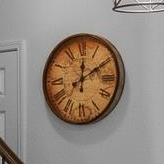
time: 12:09
